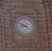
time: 8:49
